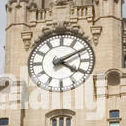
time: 4:09
